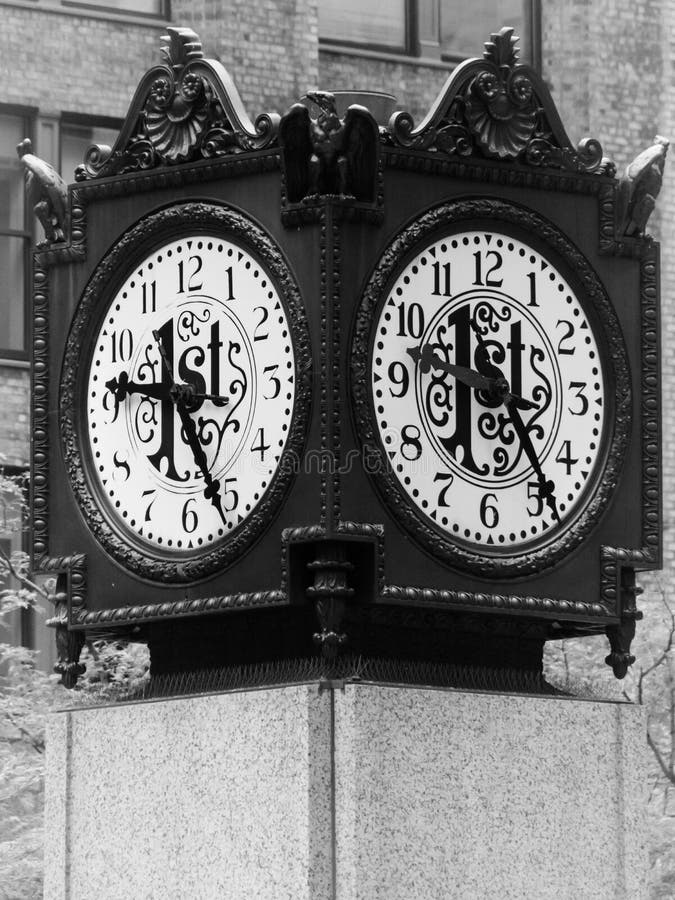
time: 9:26
